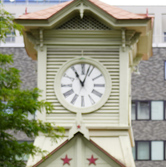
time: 11:03
